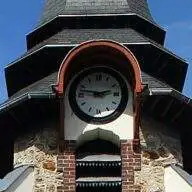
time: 2:47
